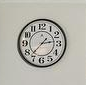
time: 2:37
